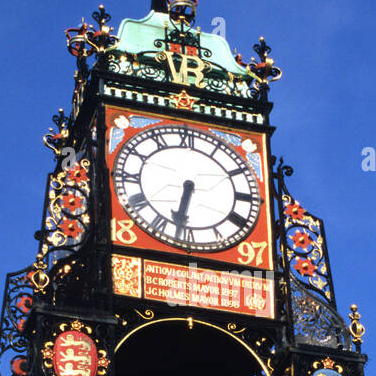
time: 6:31
